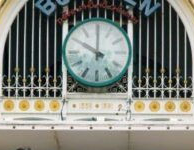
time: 10:00
